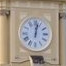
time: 12:02
